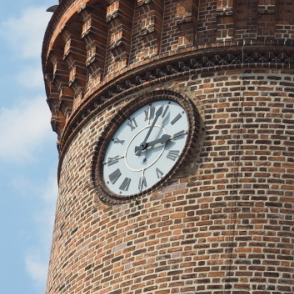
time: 3:04
